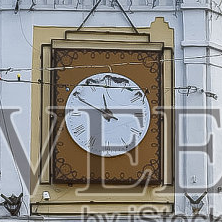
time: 9:14
